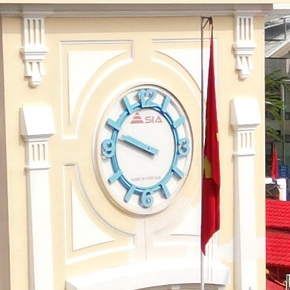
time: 9:48
